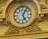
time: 5:05
